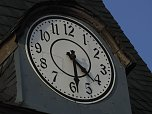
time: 4:29
